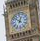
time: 12:52
